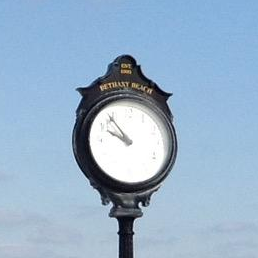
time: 9:53
